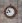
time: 10:42
